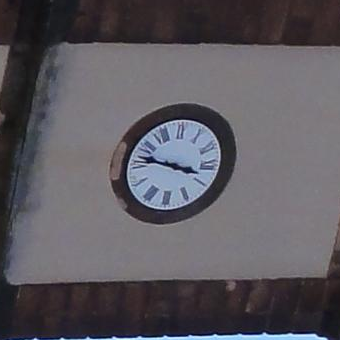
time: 3:47
